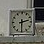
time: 2:30
